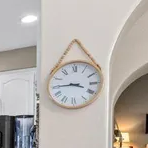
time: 3:44
